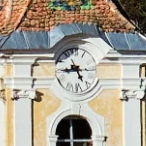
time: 8:26
